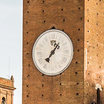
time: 7:06
